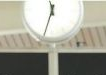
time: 11:32
